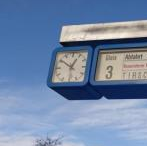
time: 12:50
